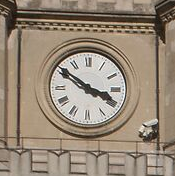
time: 3:50
